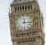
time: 12:16
